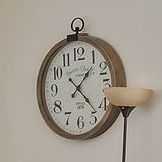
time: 1:22
